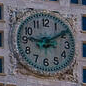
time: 9:09
